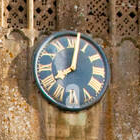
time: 8:02
